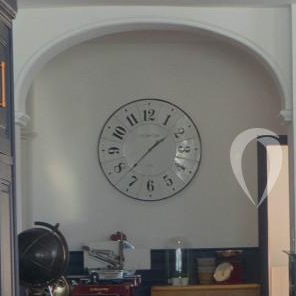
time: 1:37
